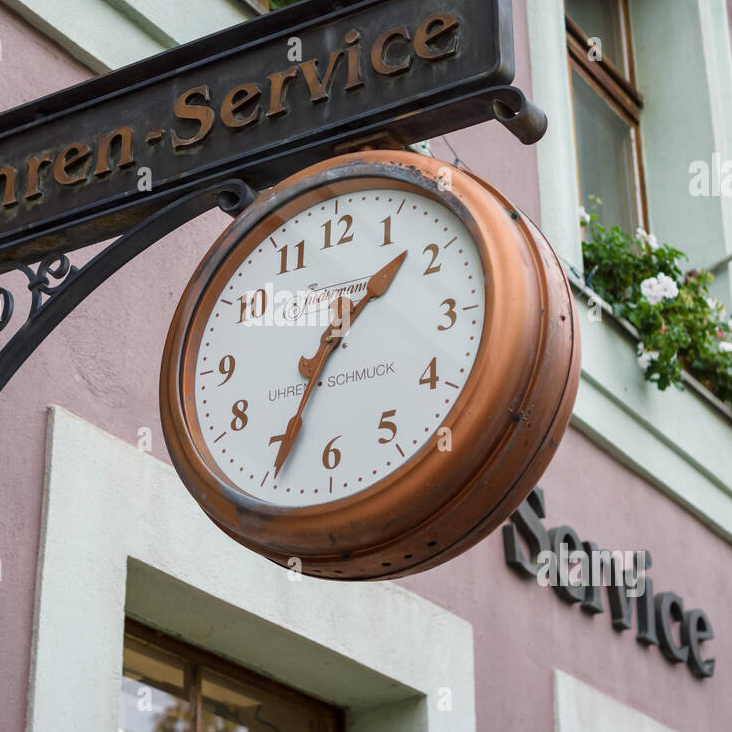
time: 1:33
